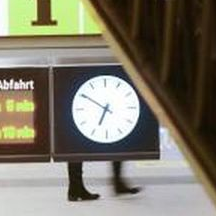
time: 6:50
